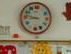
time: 8:47
